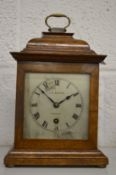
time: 1:52
